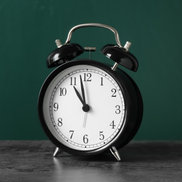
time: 10:58
